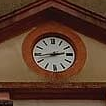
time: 2:43
